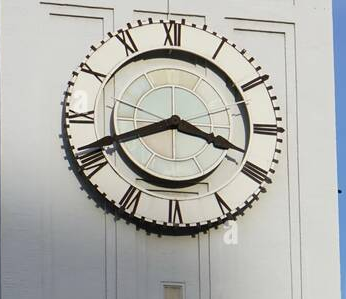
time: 3:41
